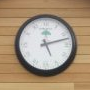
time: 5:12
